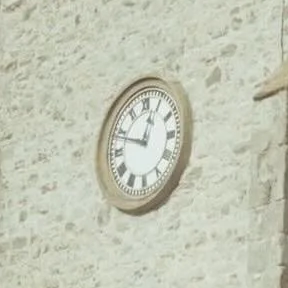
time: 12:48
